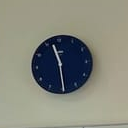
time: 11:29
